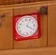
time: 4:04
